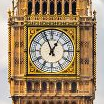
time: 12:56
